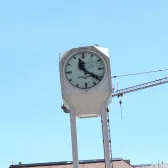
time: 11:21
